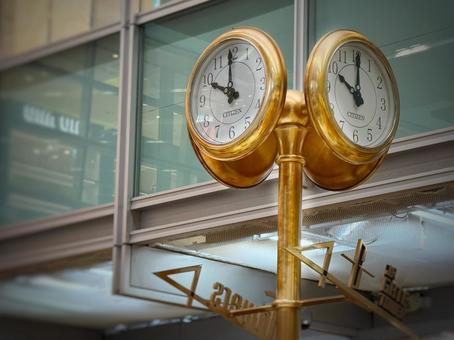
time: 10:00
